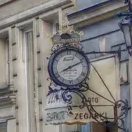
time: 8:11
